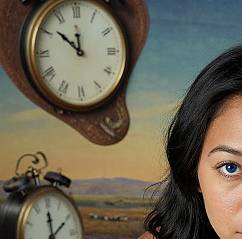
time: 11:51
